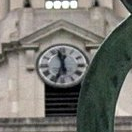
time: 11:33
